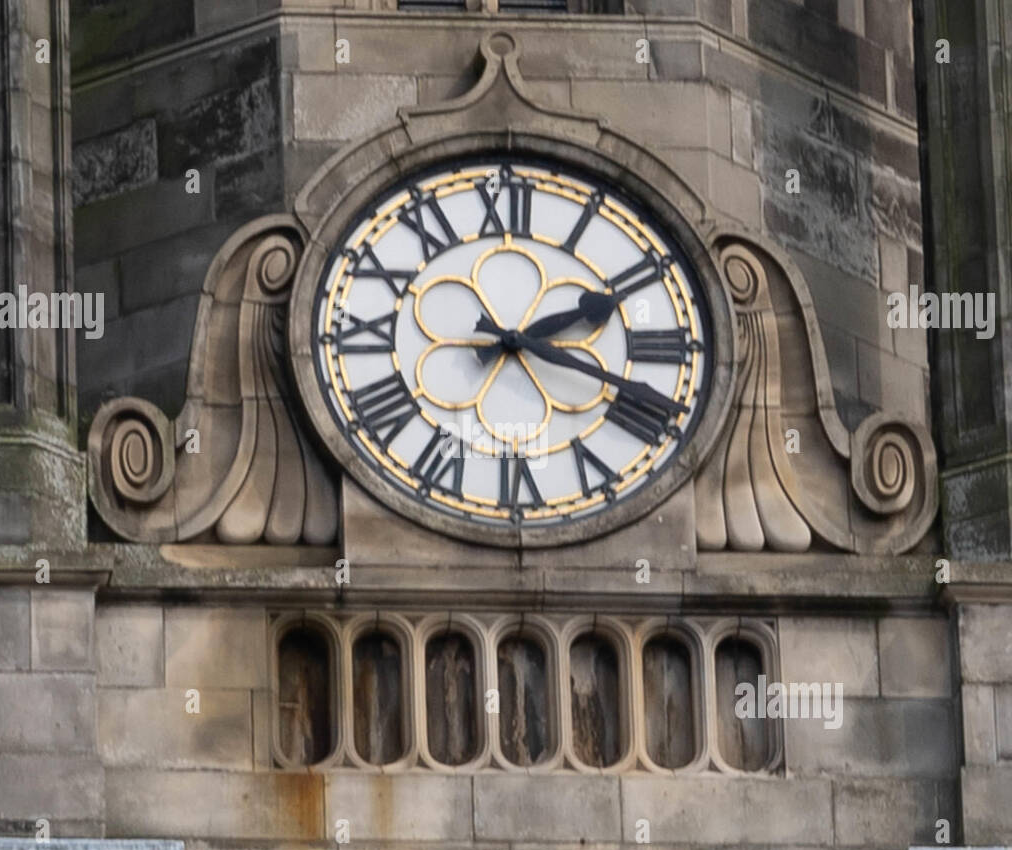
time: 2:18
